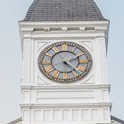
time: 2:22
